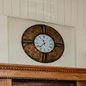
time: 11:36
